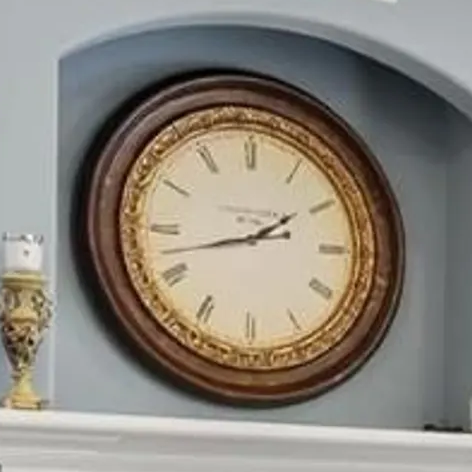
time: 1:42
